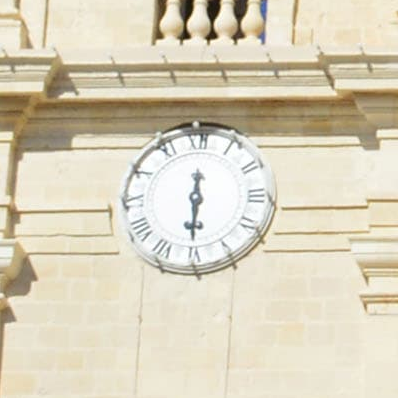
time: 6:30
